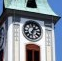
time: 1:32
